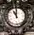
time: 11:00
